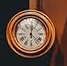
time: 12:22
